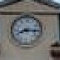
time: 8:15
